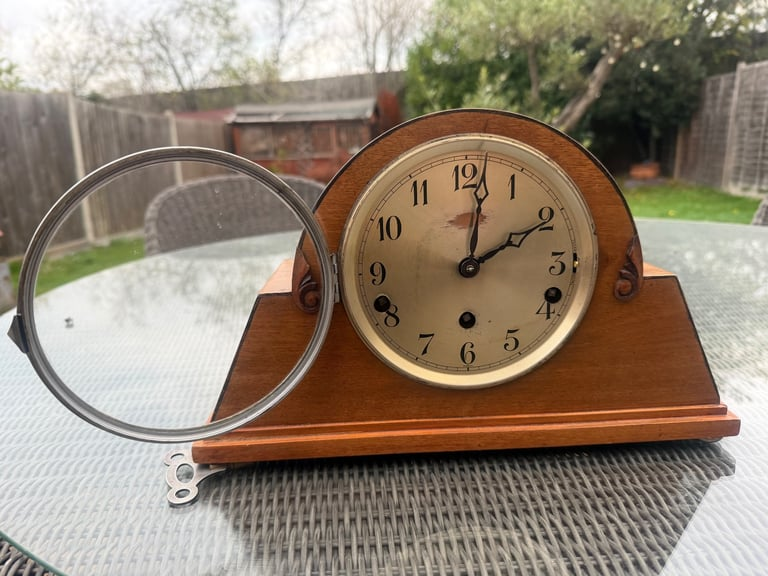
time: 2:01
